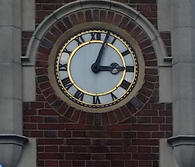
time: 3:03
